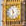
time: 11:32
